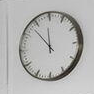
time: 11:52
